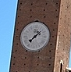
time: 1:36
